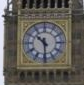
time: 10:29
